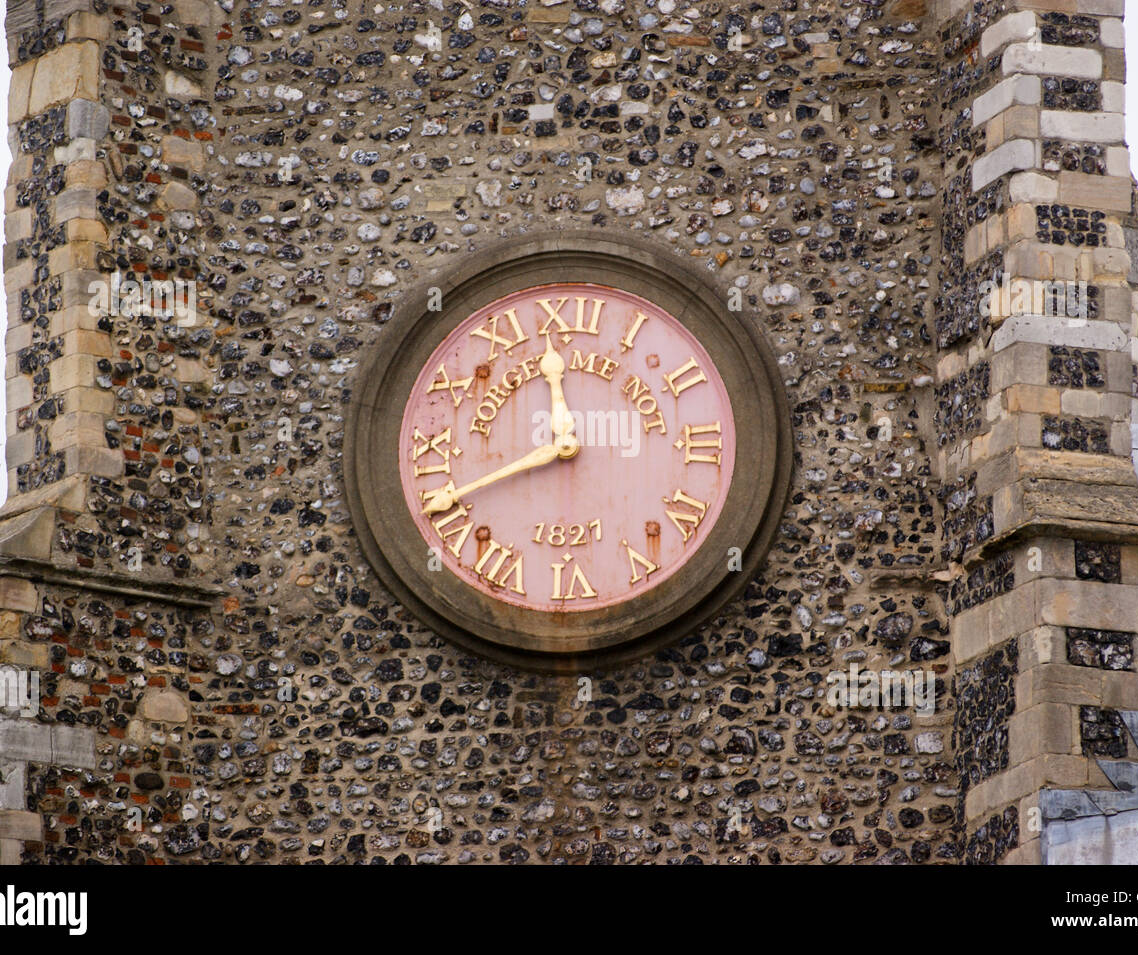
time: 11:41
